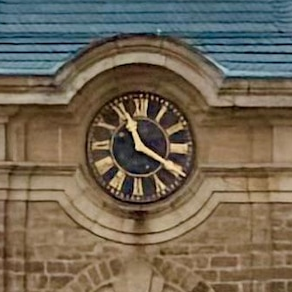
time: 11:19
